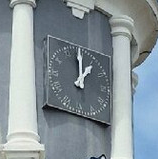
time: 12:59
